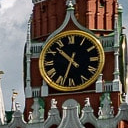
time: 10:33
